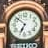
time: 6:52
